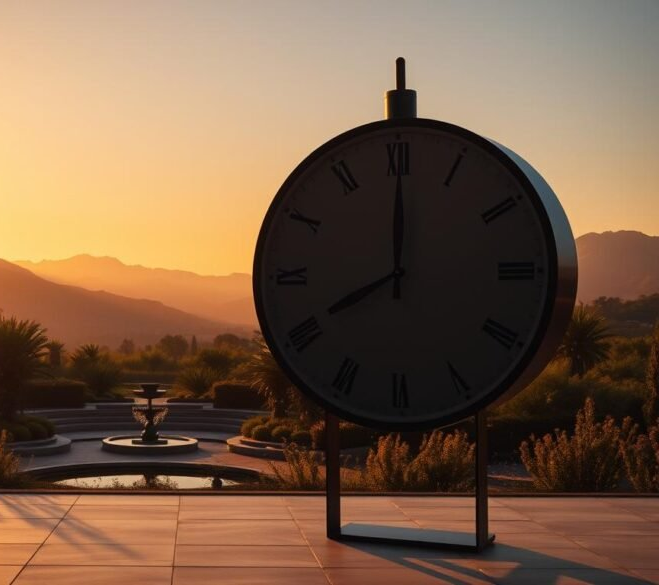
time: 8:00
